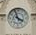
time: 3:56
